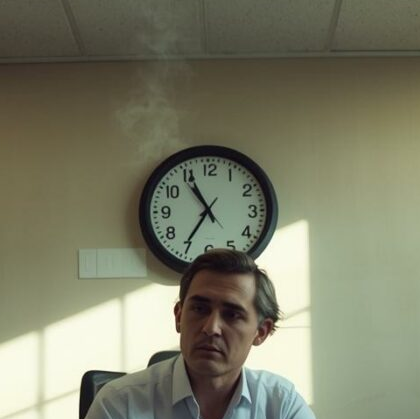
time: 10:35
